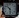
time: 10:28
